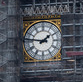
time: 1:46
